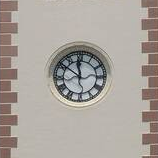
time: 11:50
